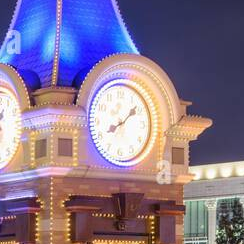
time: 8:08
